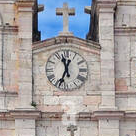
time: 11:33
